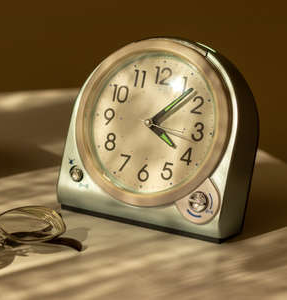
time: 4:07
